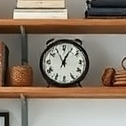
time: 12:55
